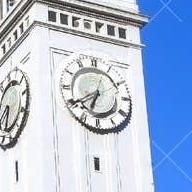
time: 6:39
